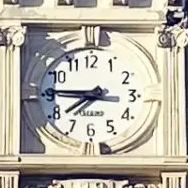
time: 7:45
